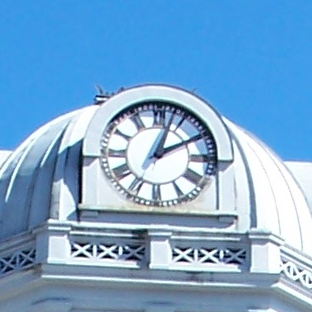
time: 2:03
